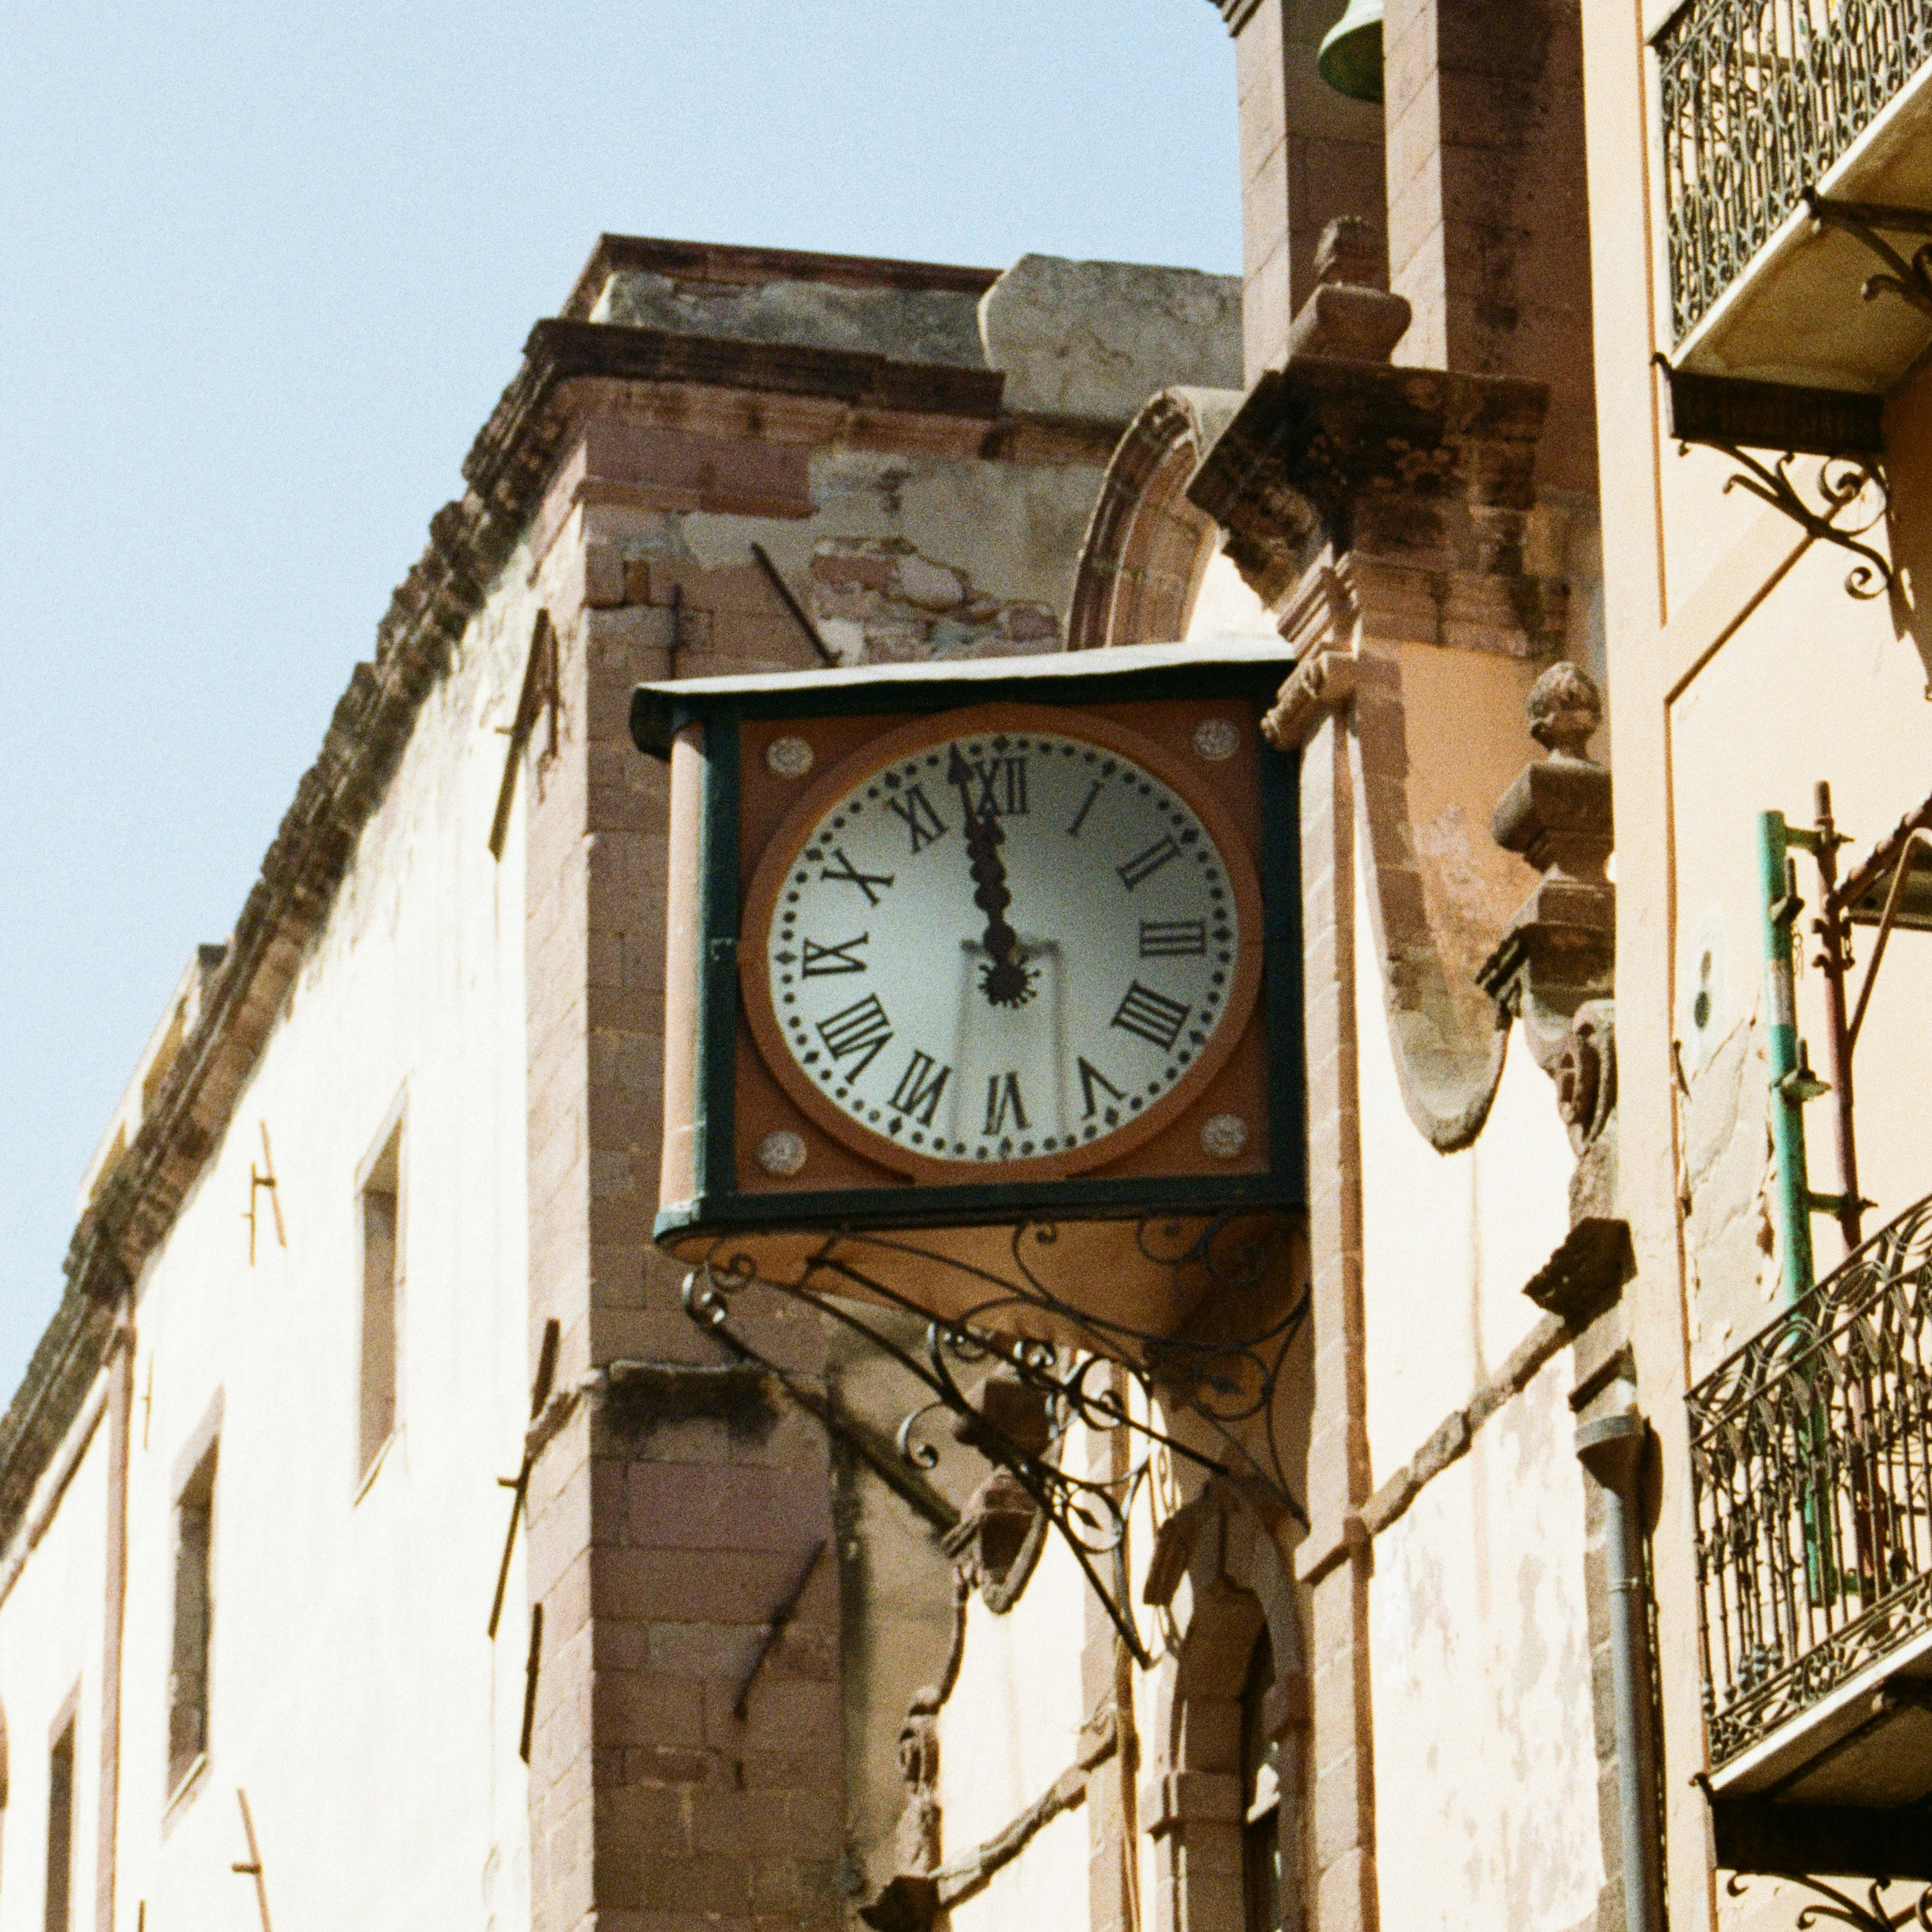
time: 11:58
